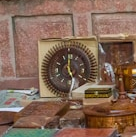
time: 4:59
